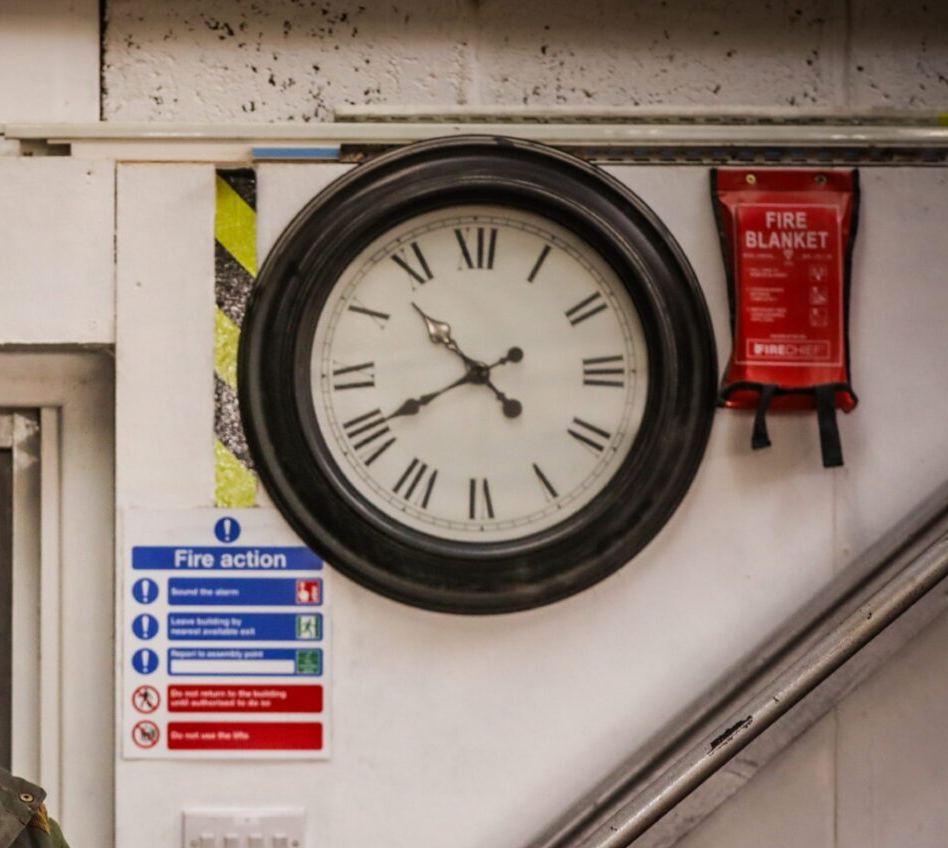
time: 10:40
